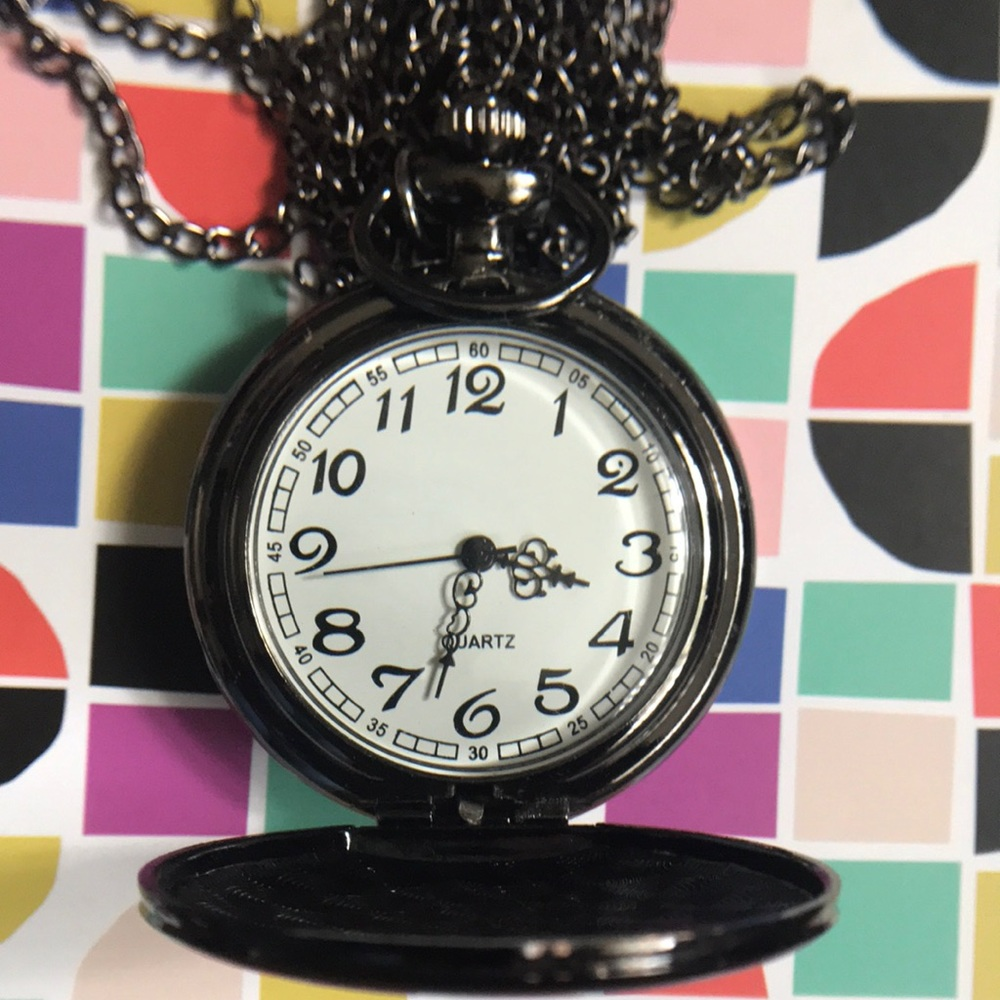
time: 3:32
